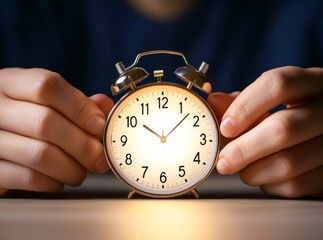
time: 10:07
